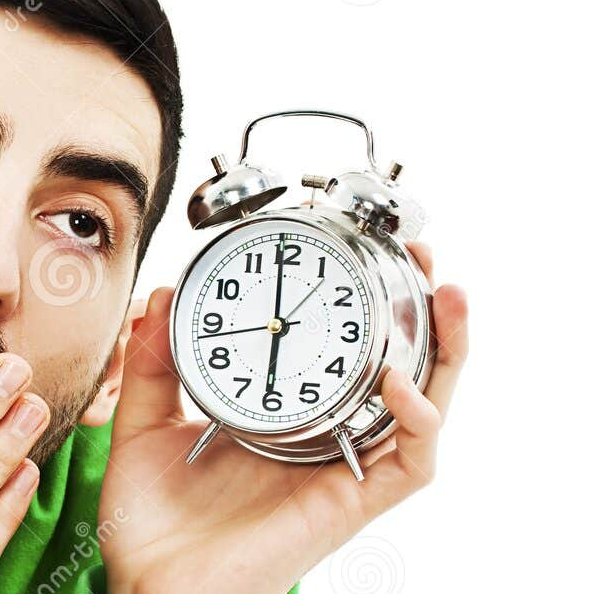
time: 5:59
